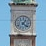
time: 1:21
